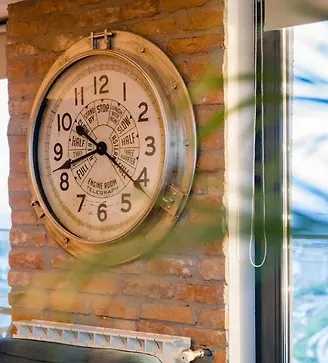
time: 8:21
